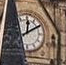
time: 12:10
